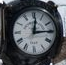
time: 12:14
